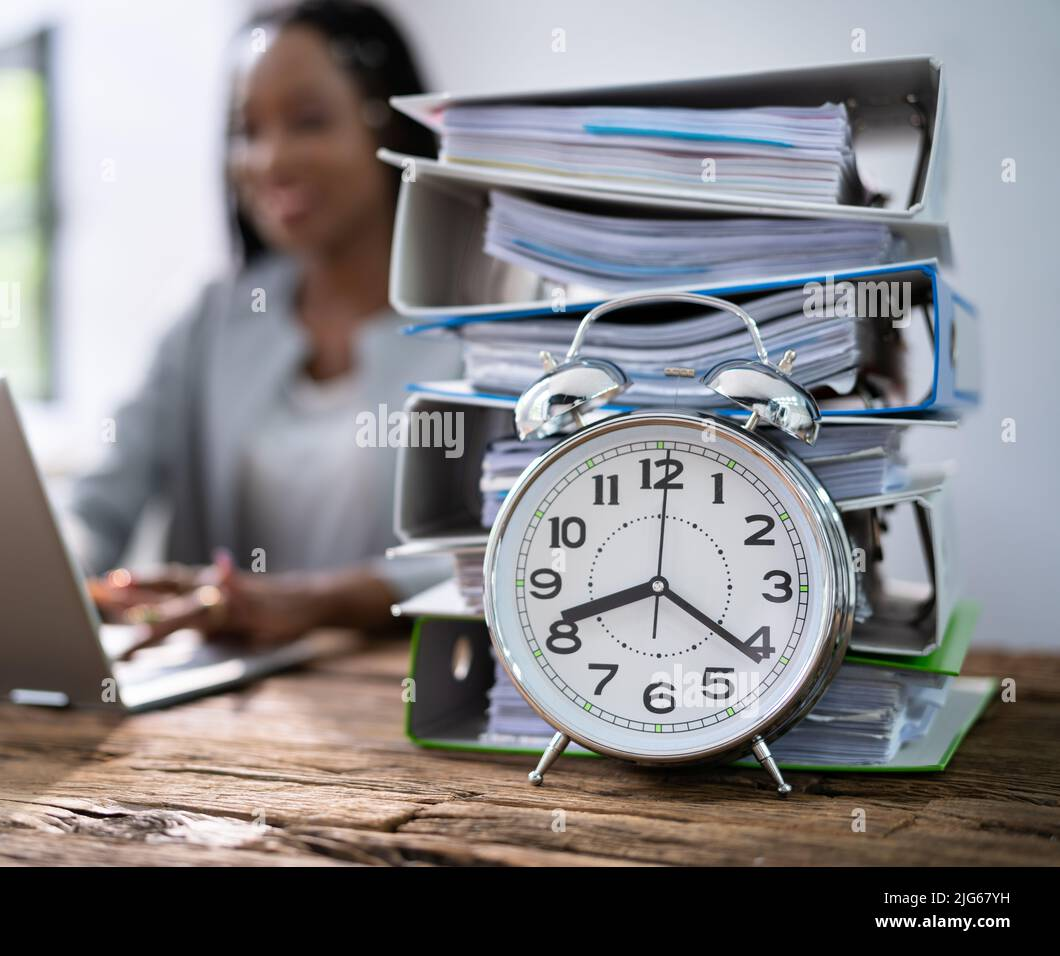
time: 8:21
